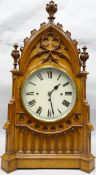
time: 1:27
